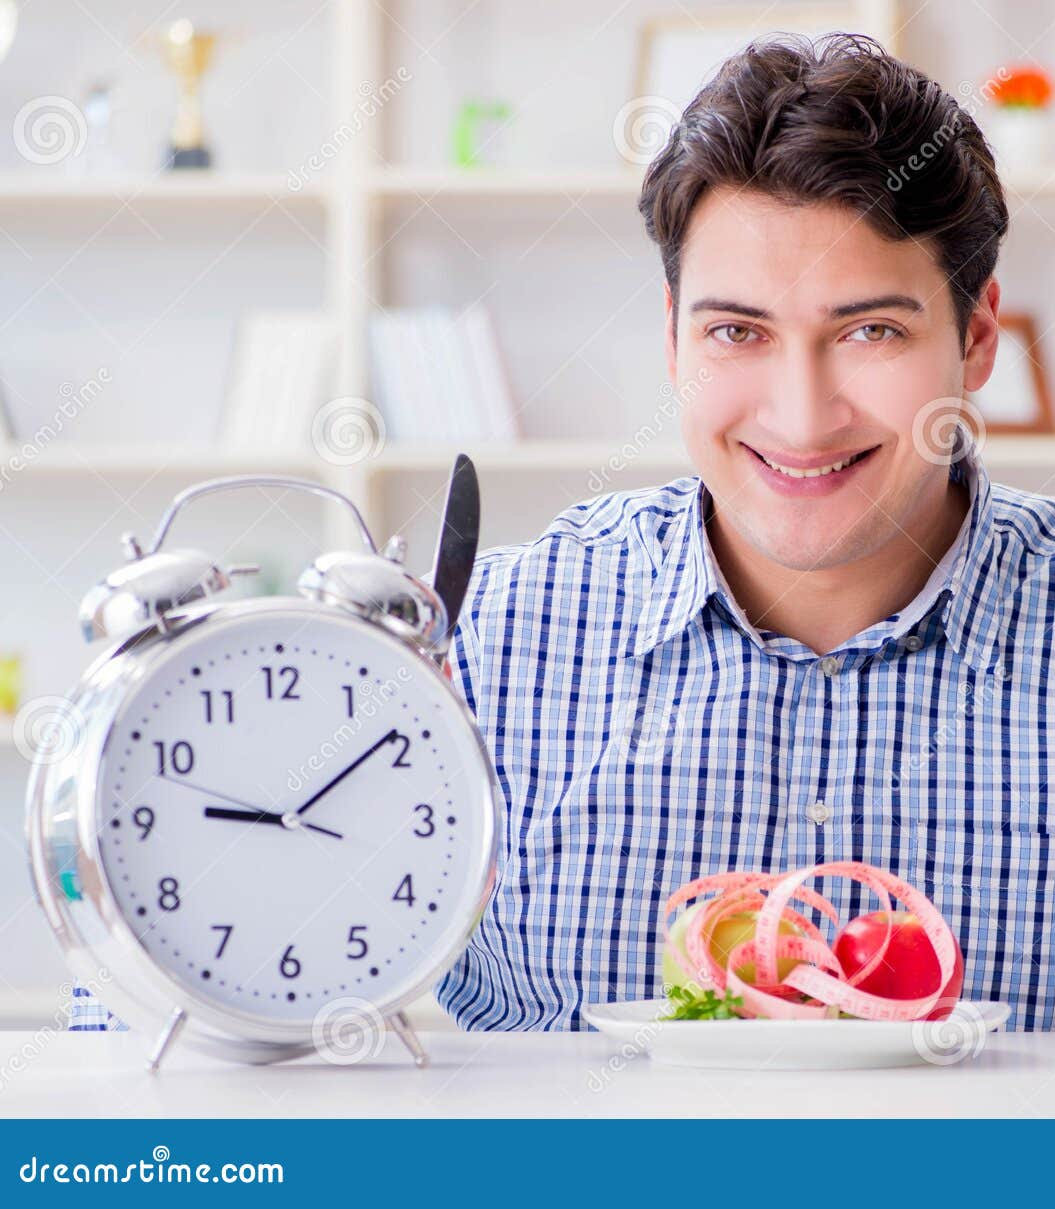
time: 9:09
